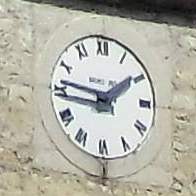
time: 1:46
